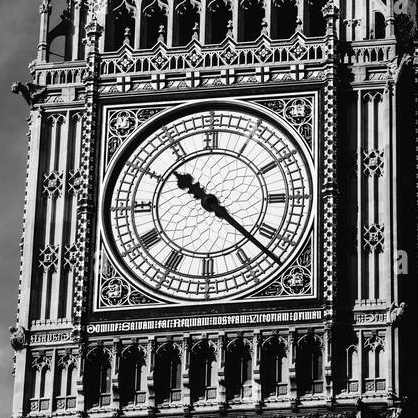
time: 10:22
